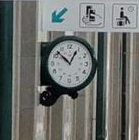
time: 12:52
